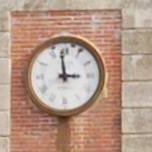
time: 2:58
